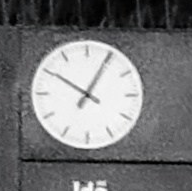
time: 10:04
